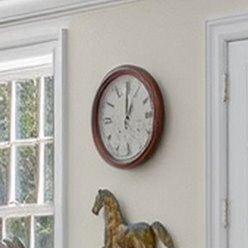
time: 1:00
